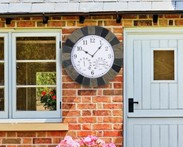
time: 10:07
